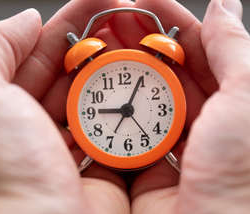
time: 9:04
